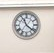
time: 11:21
